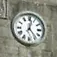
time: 12:23
